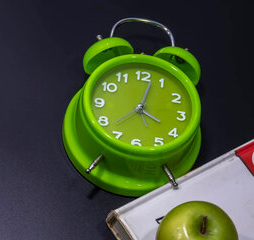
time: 4:02
